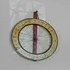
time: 6:00
